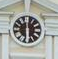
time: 5:59
